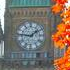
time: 1:46
